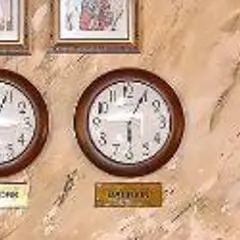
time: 6:04
